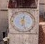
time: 12:27
